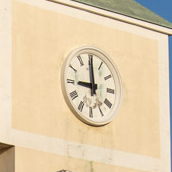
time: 8:59
